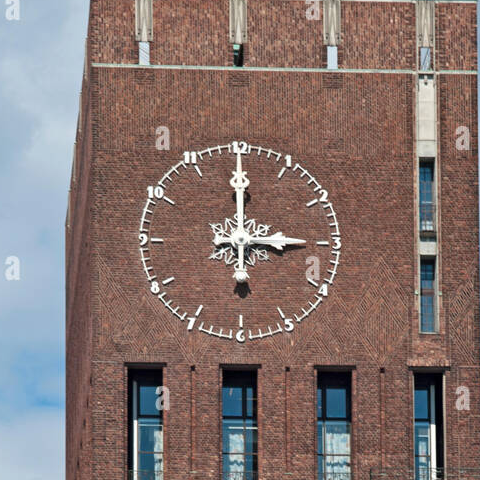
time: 3:00
